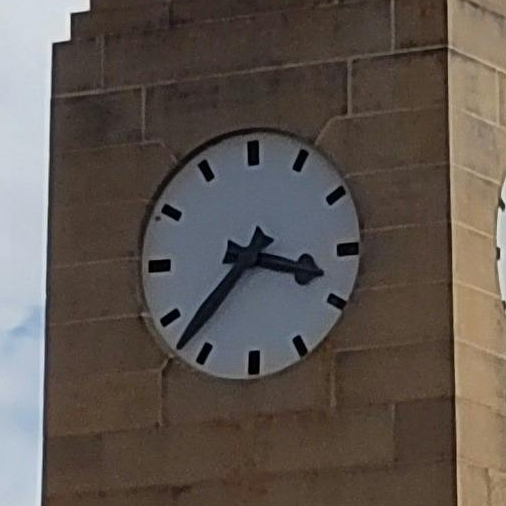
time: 3:37
